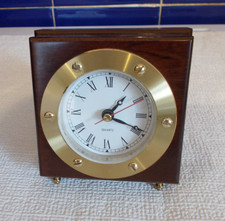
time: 1:18
